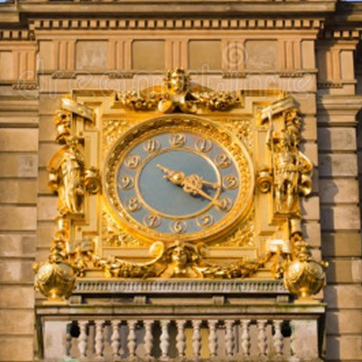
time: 4:17
